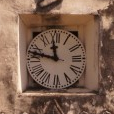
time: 11:47
